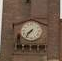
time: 7:36
